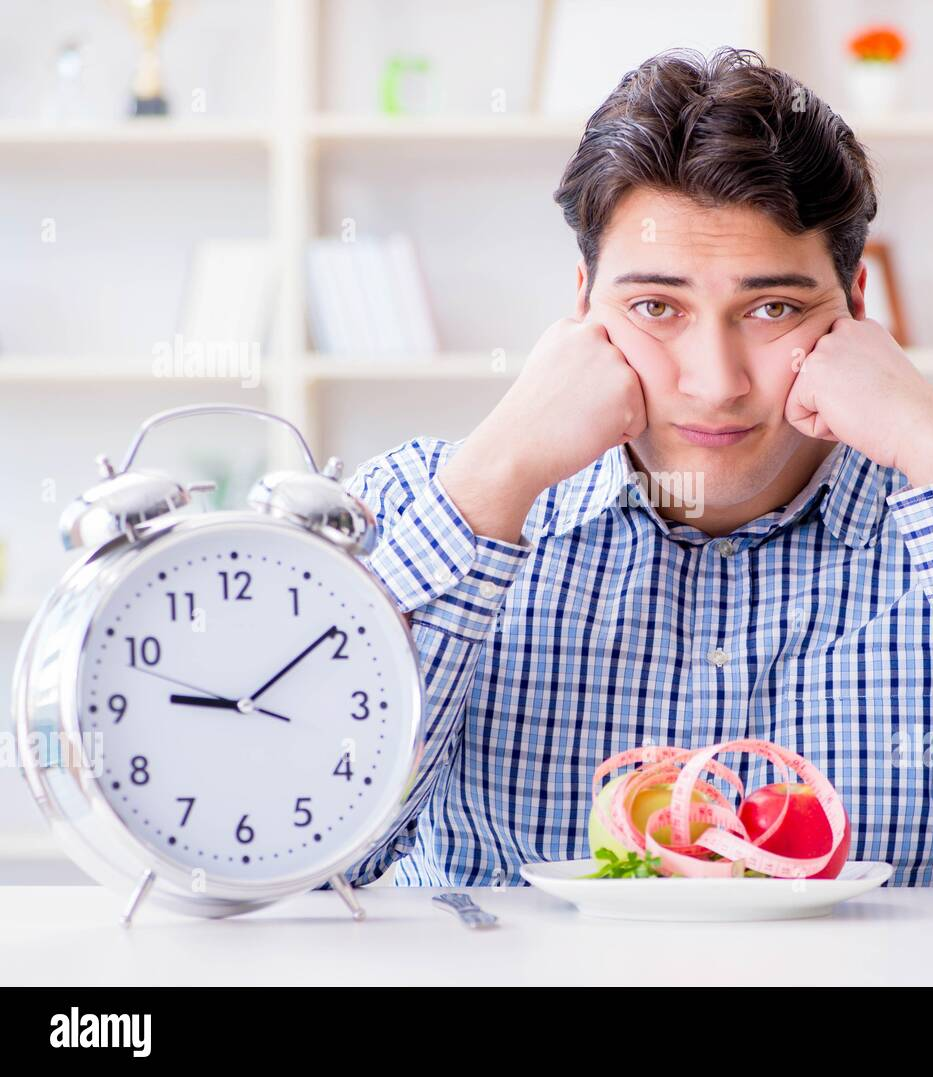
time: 9:09
